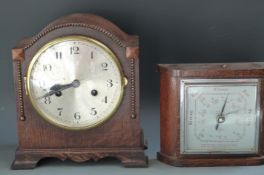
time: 8:41
